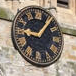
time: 9:07
